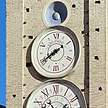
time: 7:39
